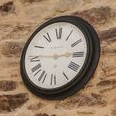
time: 2:45
